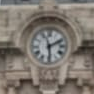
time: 2:29
